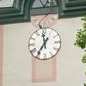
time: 11:35
